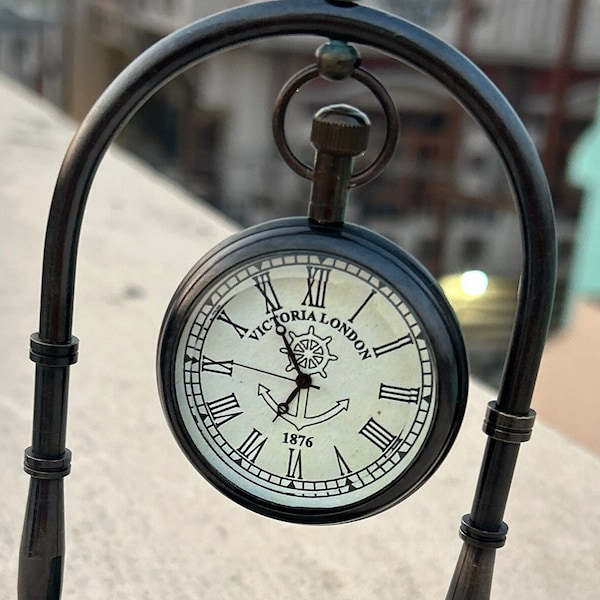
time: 6:54
